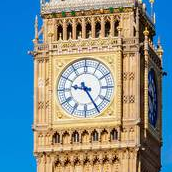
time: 9:25
